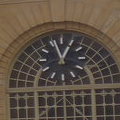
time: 12:57
